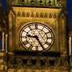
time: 9:25
